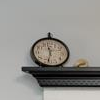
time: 11:32
